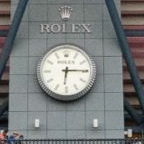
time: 6:15
